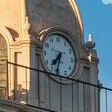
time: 7:32
